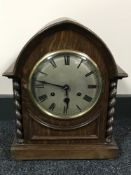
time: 5:46
